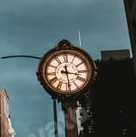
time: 3:28
